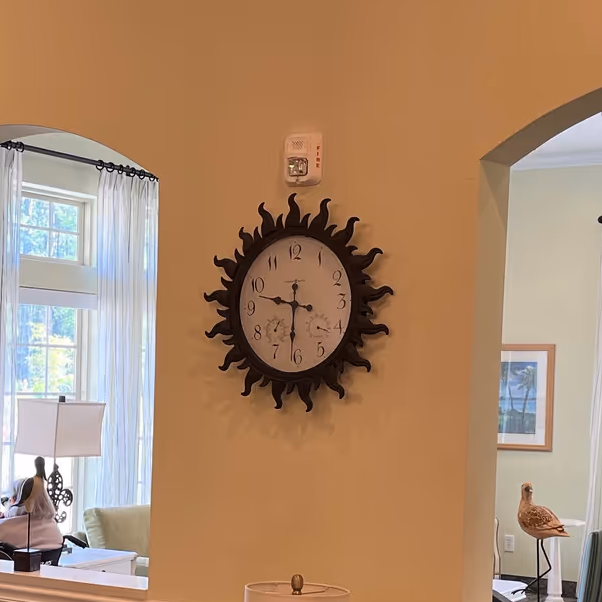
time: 9:31
